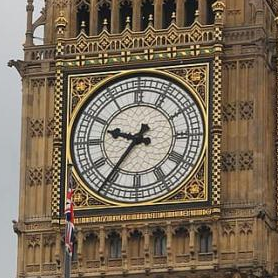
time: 9:36
